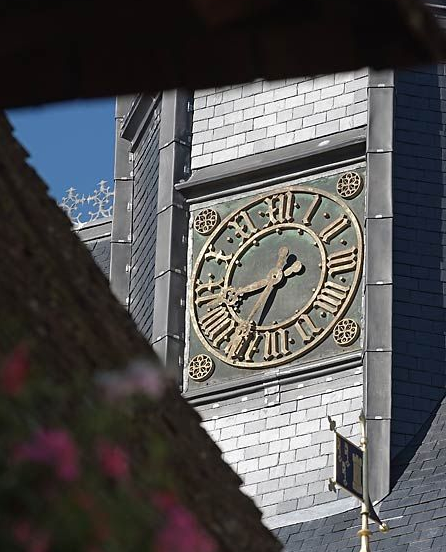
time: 8:35
